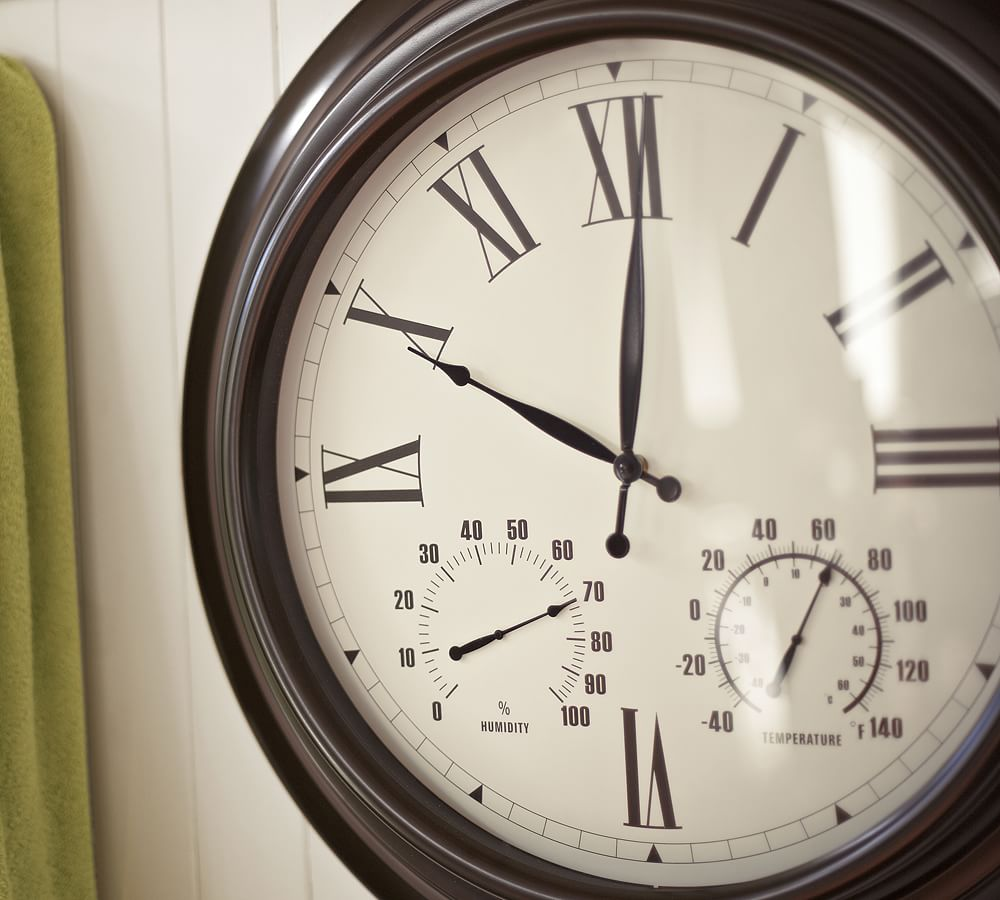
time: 10:00
